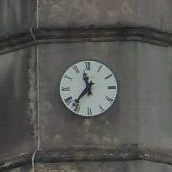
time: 11:36
